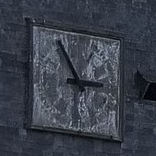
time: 2:54
